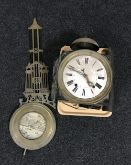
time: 4:48
